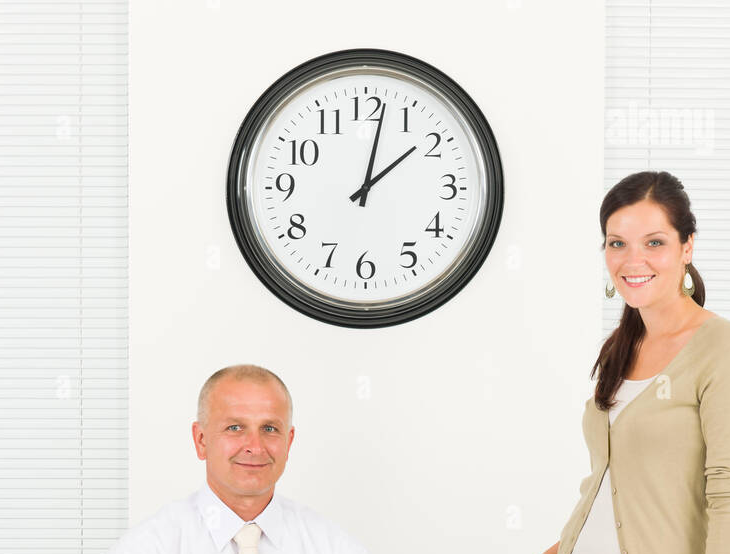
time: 2:02
